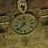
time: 7:37
